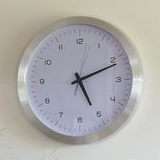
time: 5:11
